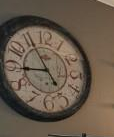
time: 8:55
